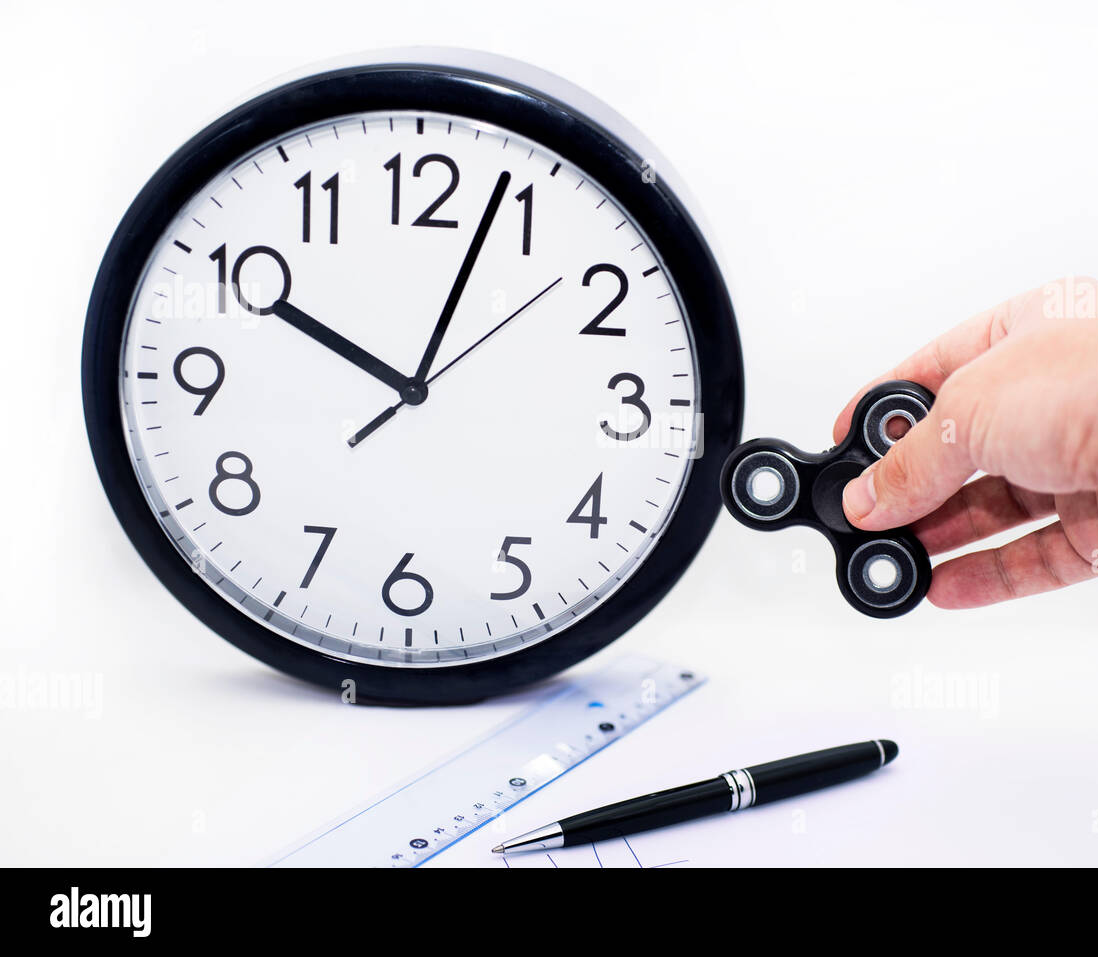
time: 10:03
